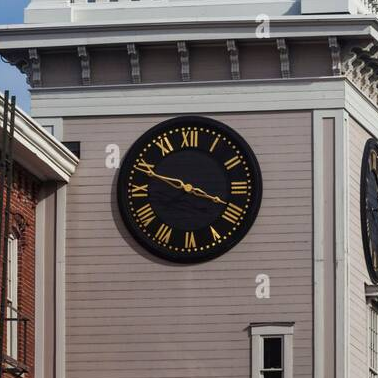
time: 3:48
